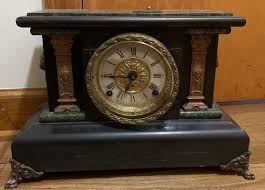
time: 6:45
